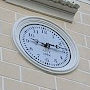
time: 9:14
